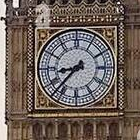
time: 8:37
